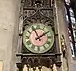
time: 11:10
